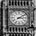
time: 3:09
